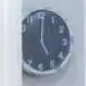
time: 5:00
